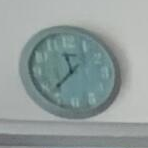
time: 11:37
